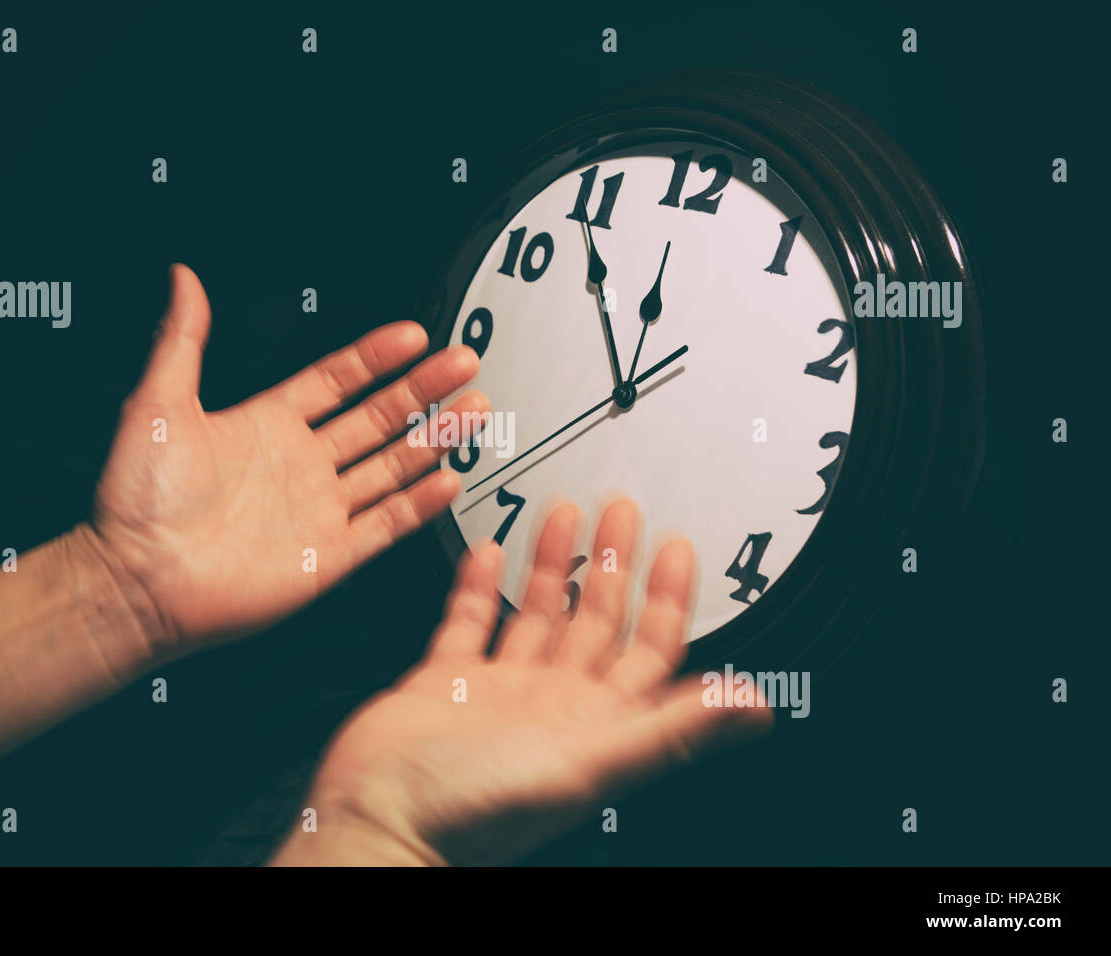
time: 11:53
